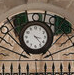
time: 3:22
